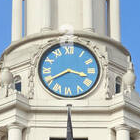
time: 3:40
